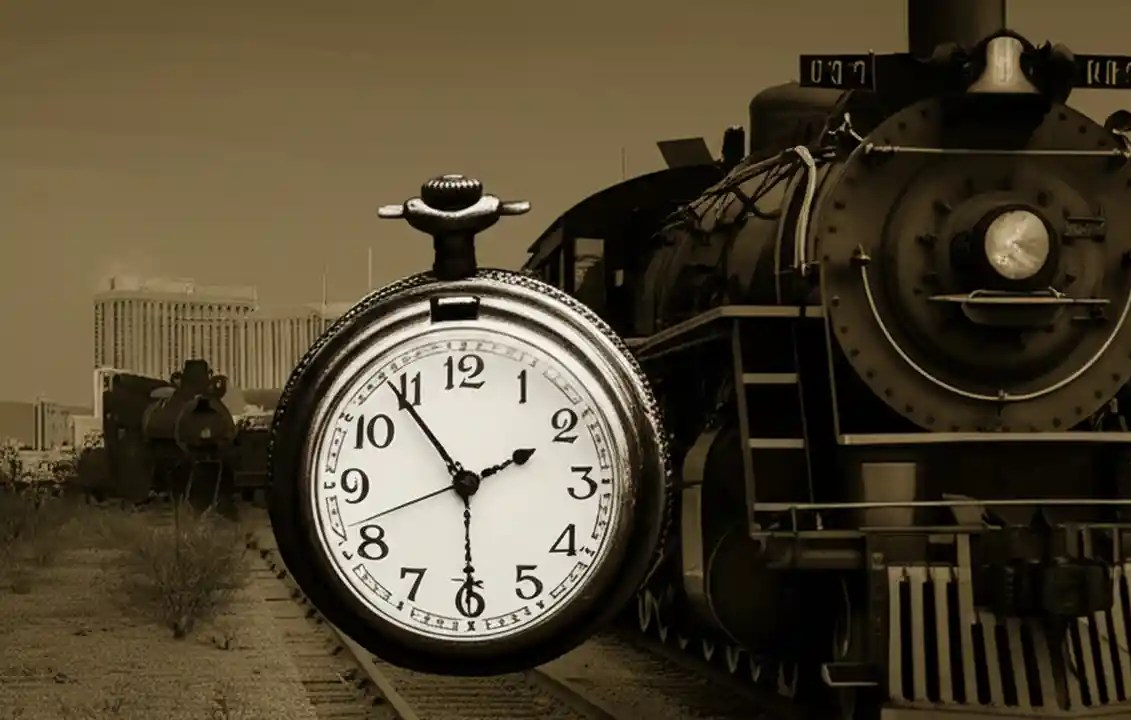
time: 1:54
